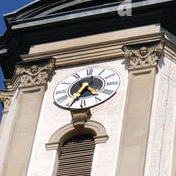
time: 4:34
